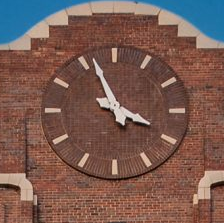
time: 3:56
